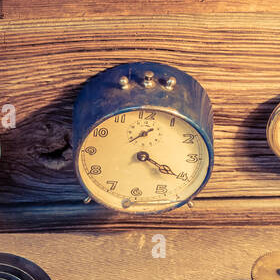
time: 4:20
